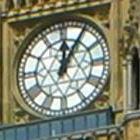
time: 12:05
